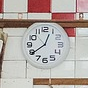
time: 12:39
